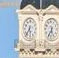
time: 5:36
